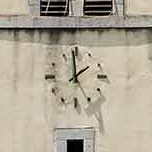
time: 1:59
